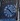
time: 10:22
